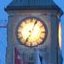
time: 7:04
